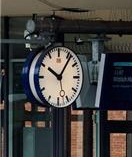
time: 10:06
